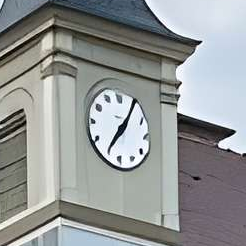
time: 7:05
